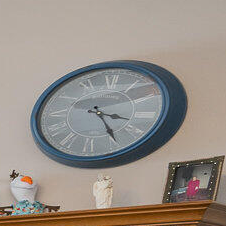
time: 3:24
